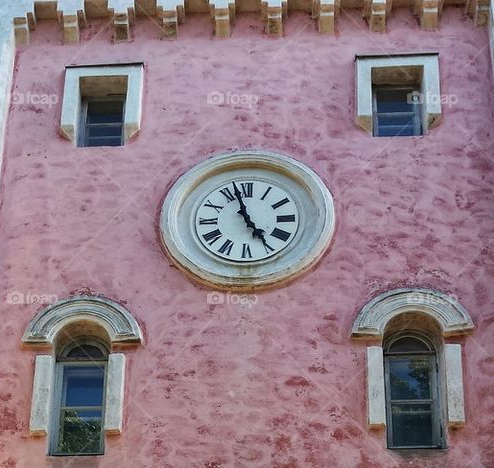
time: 4:57
